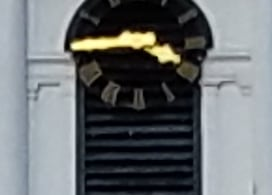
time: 3:45
